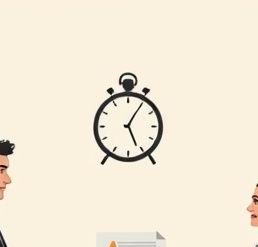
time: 5:05
